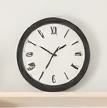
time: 1:34
